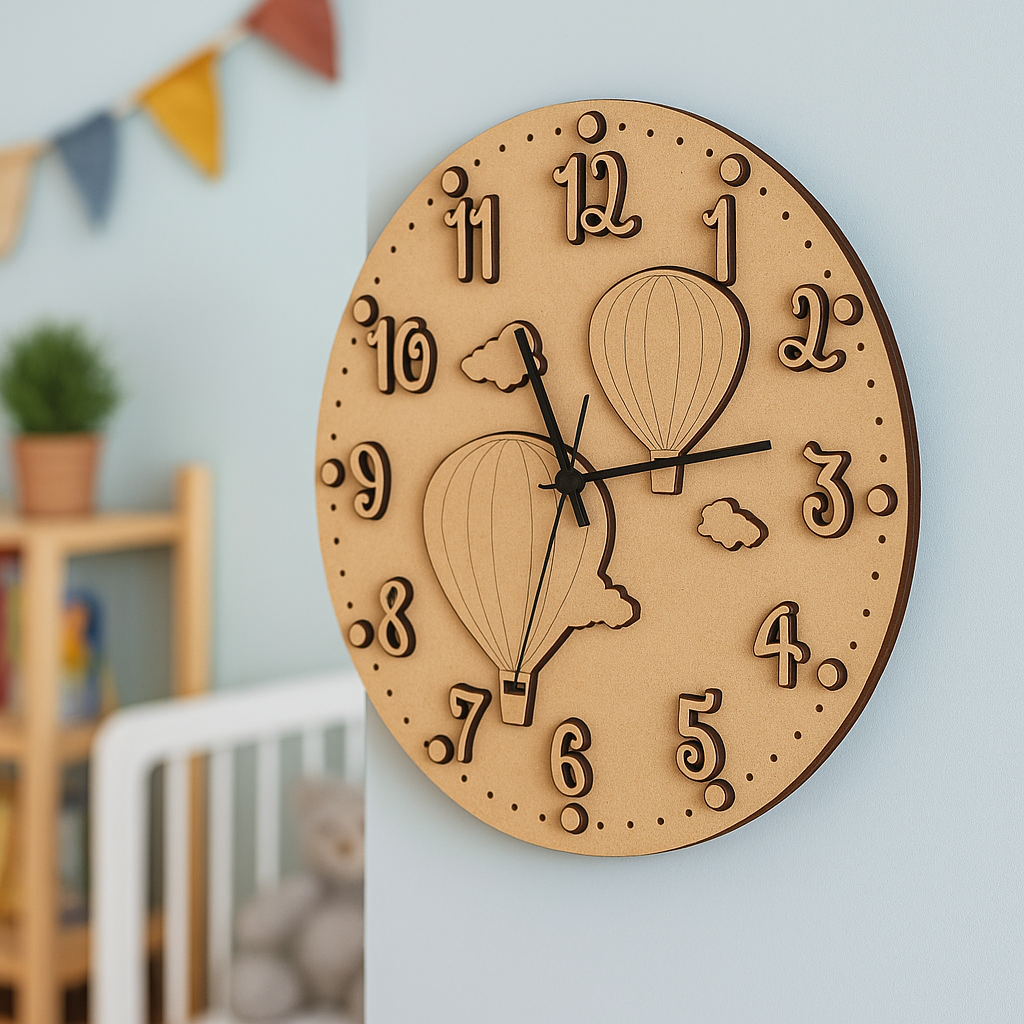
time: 11:13
